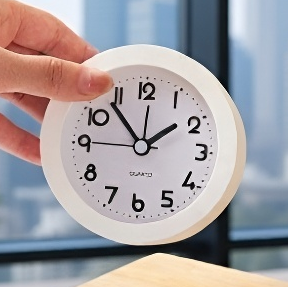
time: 1:53
